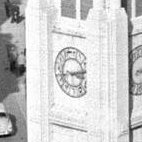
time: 2:42
